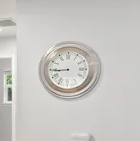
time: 8:44
